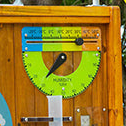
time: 7:36
